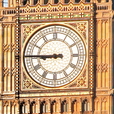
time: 8:45
